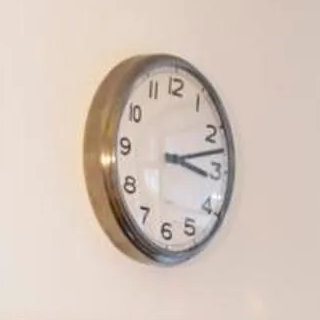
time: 3:12
